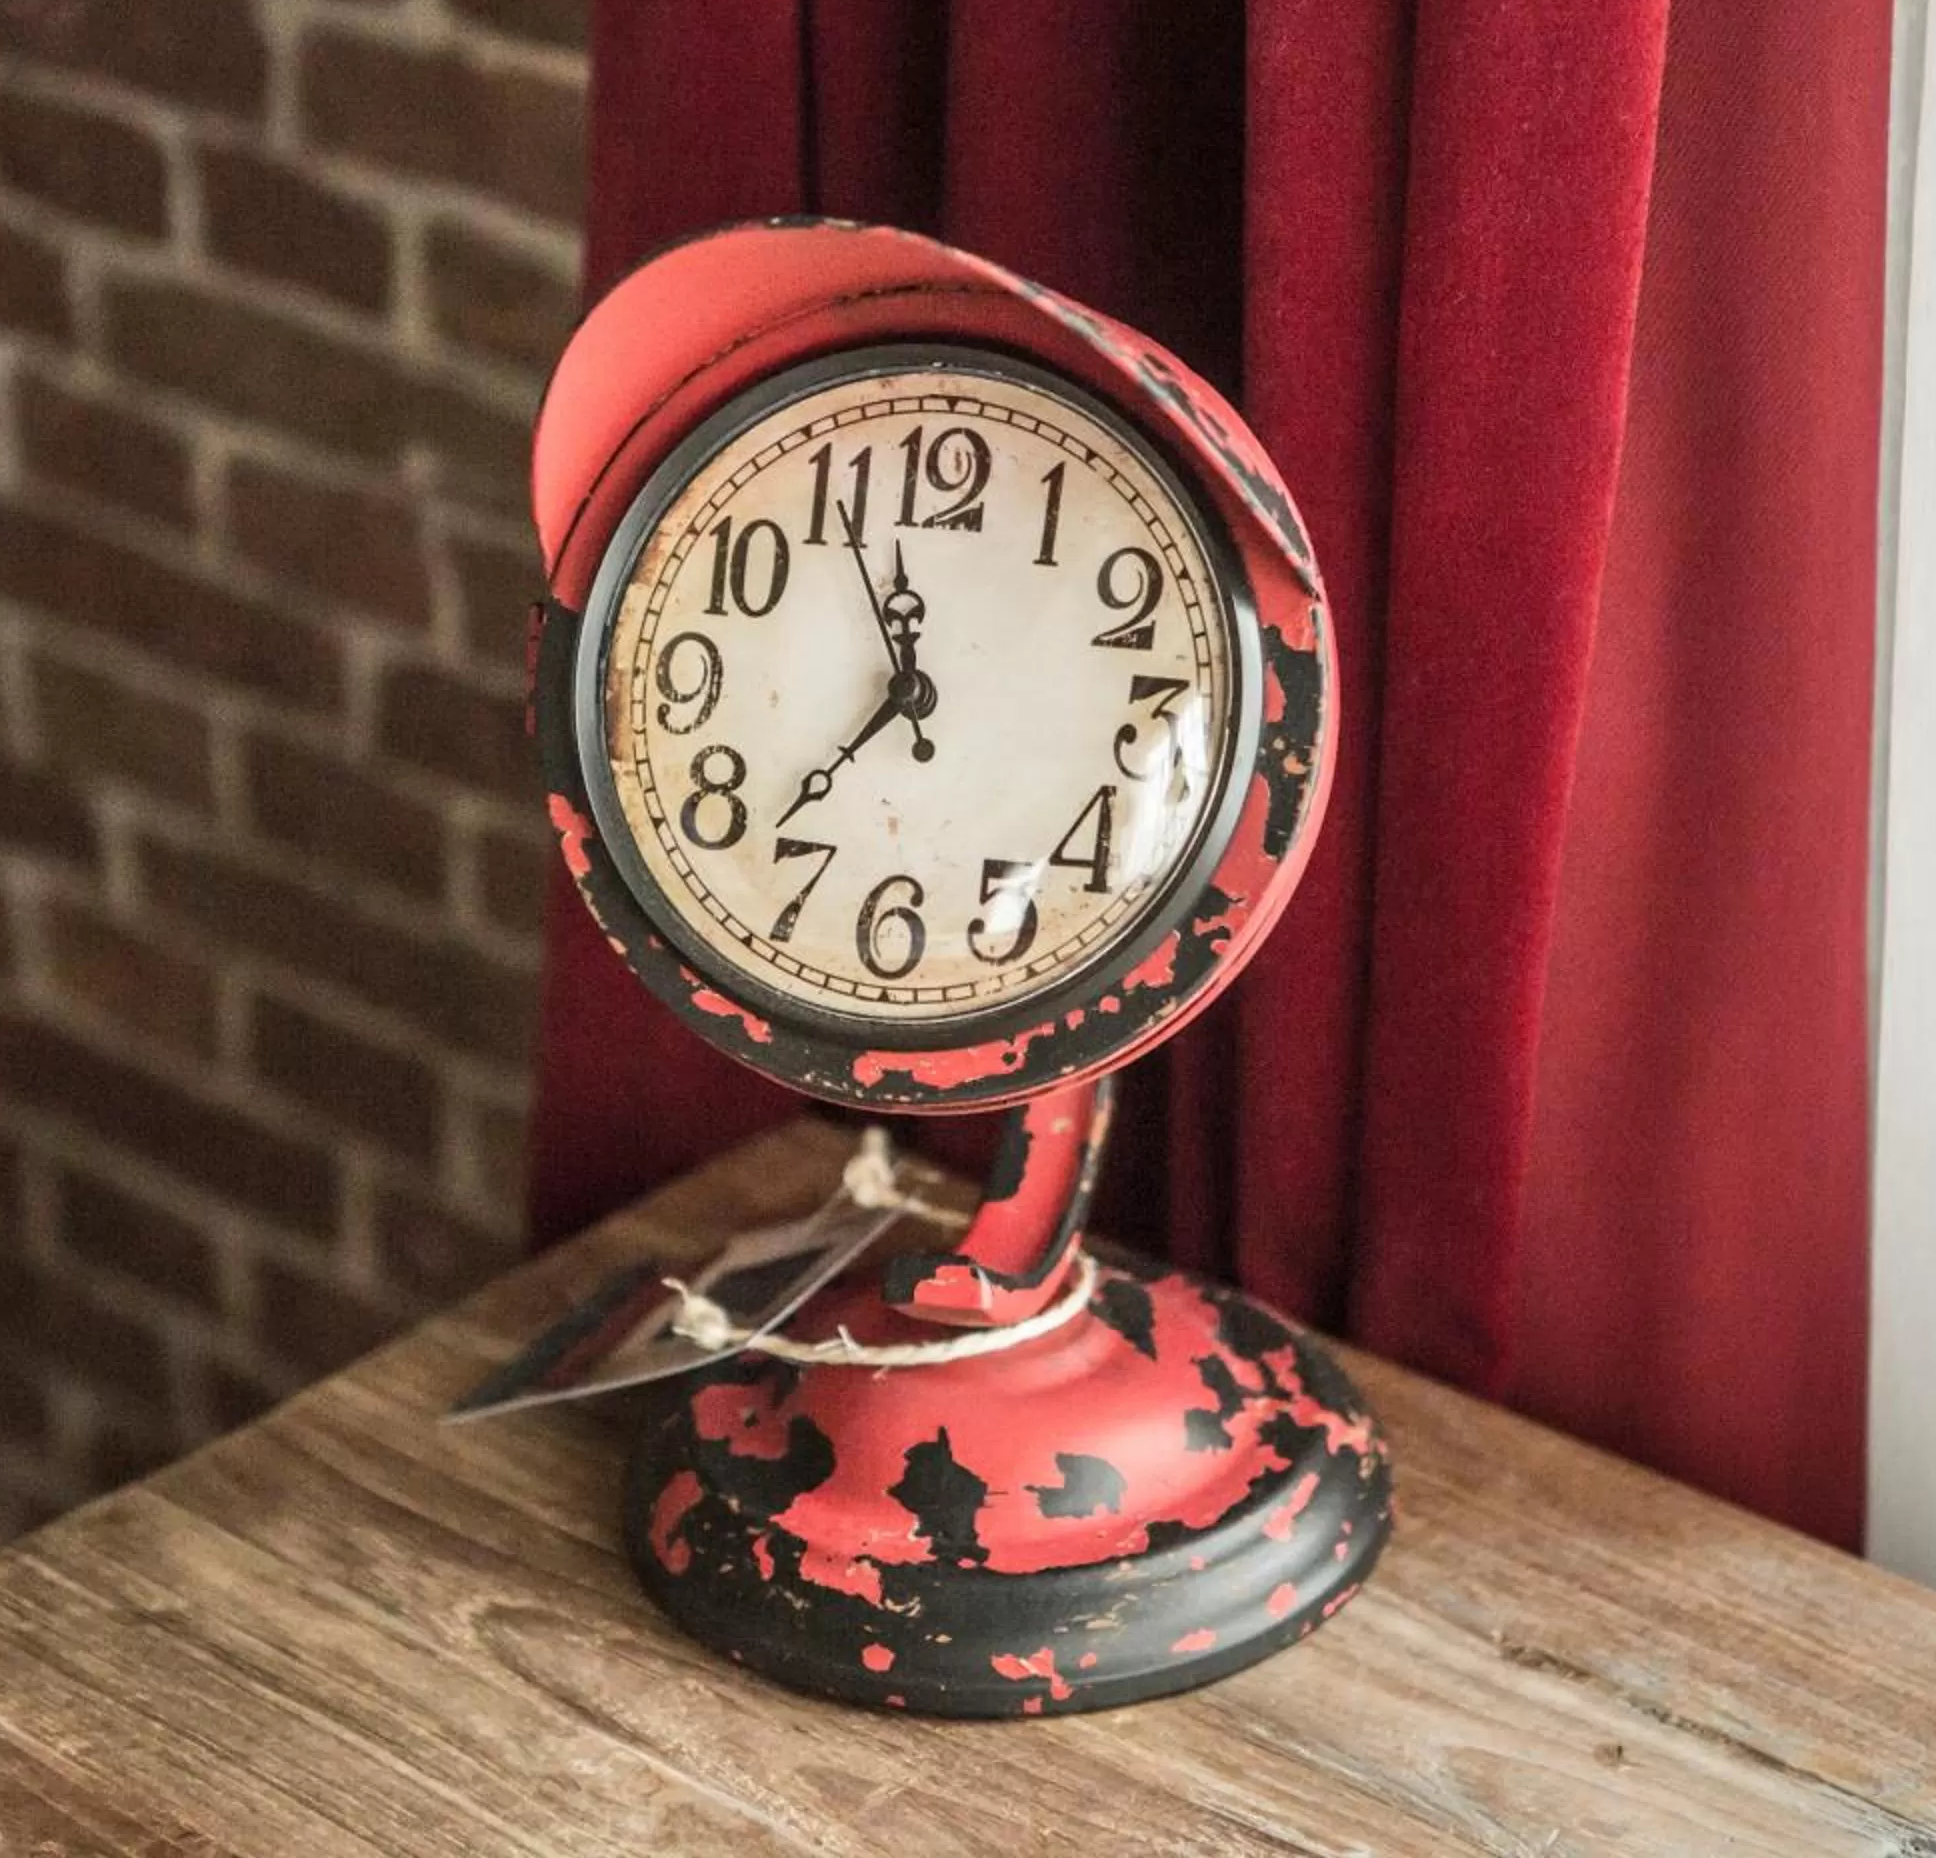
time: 11:37
